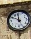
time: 11:49
